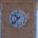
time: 10:37
